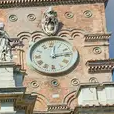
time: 12:13
